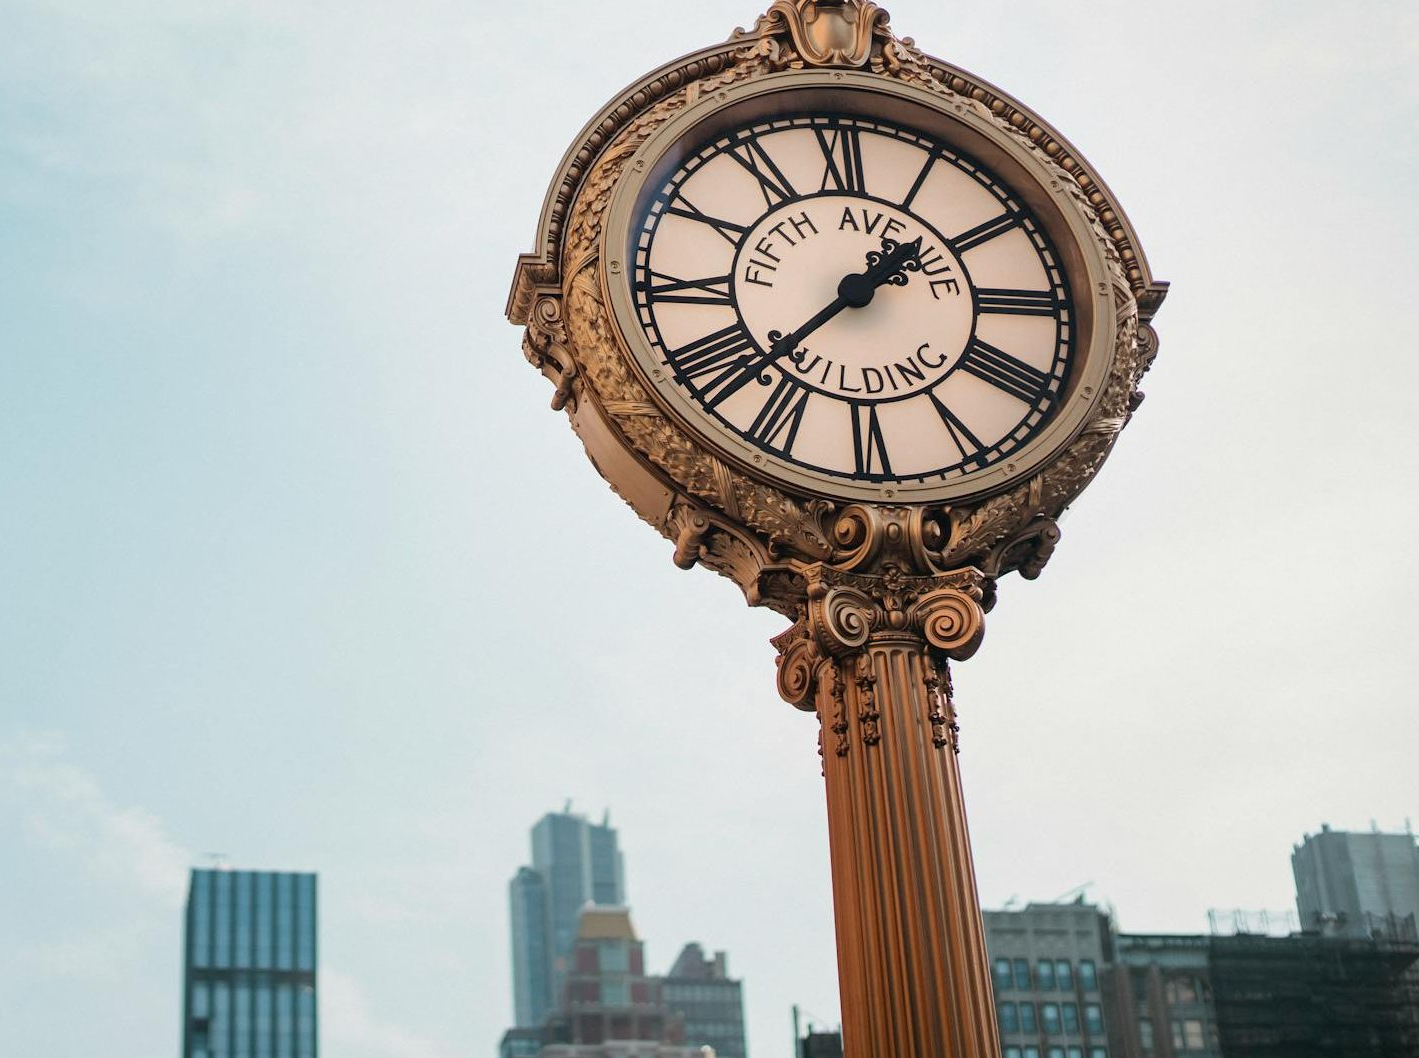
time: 1:37
